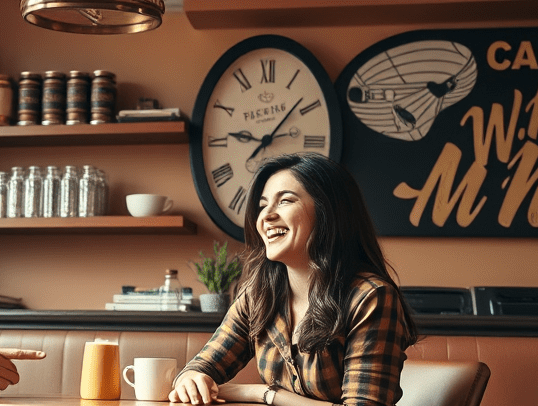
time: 9:07
